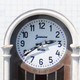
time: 2:39
